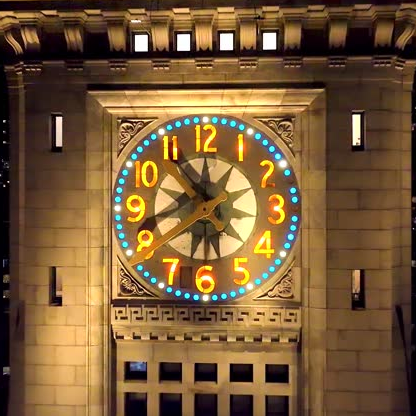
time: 10:41
